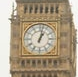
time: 1:02
